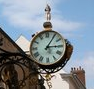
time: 3:05
